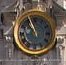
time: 10:56
